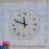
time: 11:48
